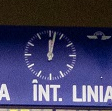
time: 12:02
